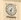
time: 7:32
